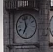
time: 6:57
